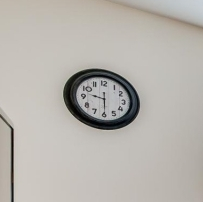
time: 9:29
